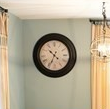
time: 10:34
